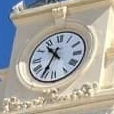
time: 10:34
